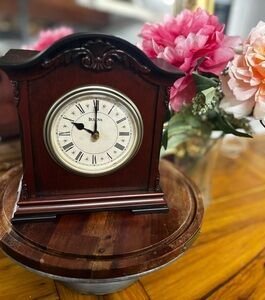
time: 10:00
